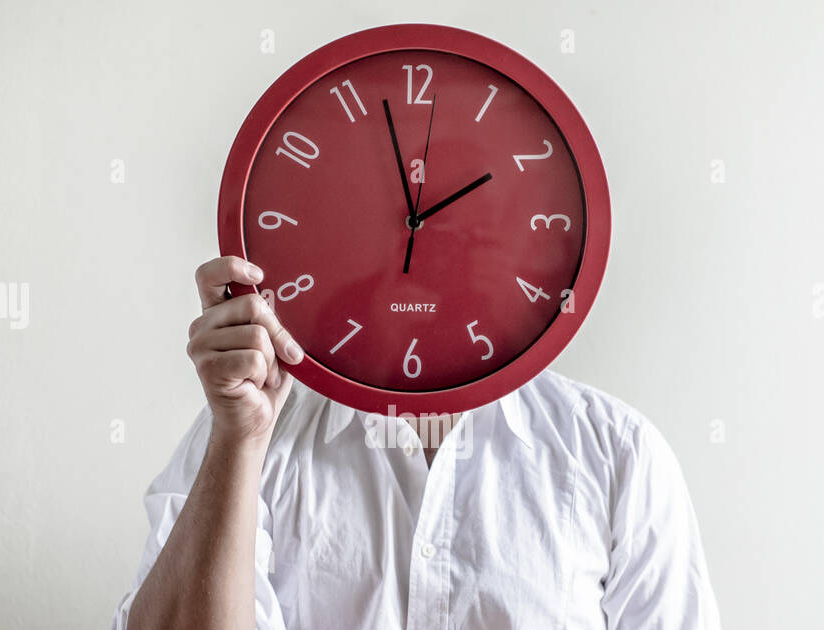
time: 1:57
